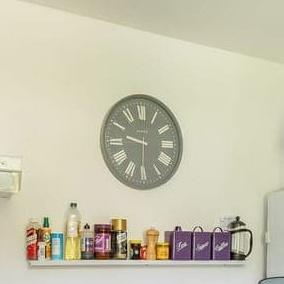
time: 9:30
